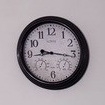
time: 9:16
